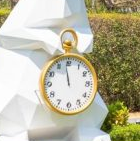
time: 11:58
